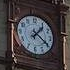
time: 1:20
